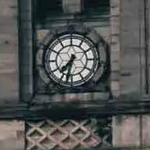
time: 7:32
